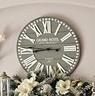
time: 8:45
